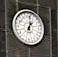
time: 1:01
